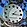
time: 1:16
